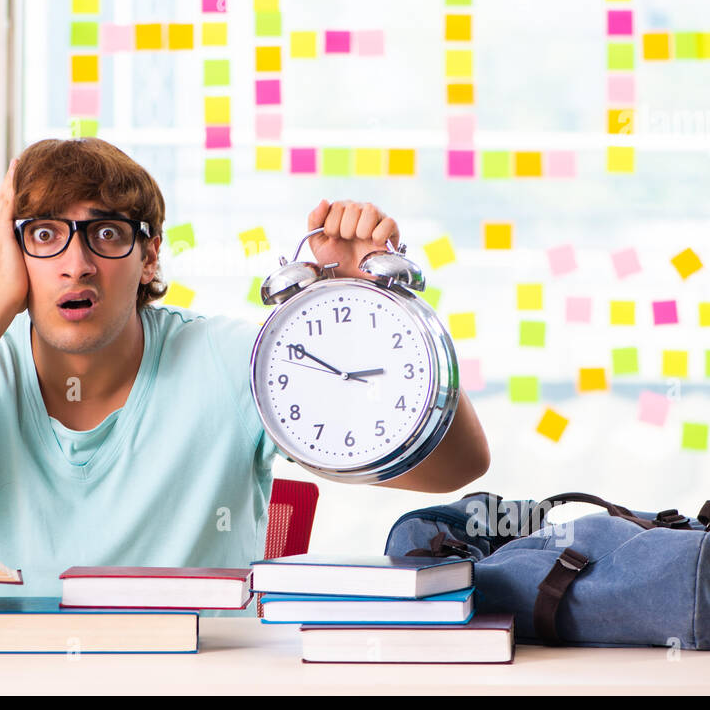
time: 2:50
